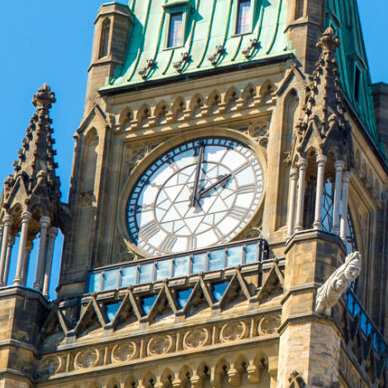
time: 2:00
